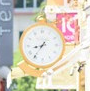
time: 8:36
